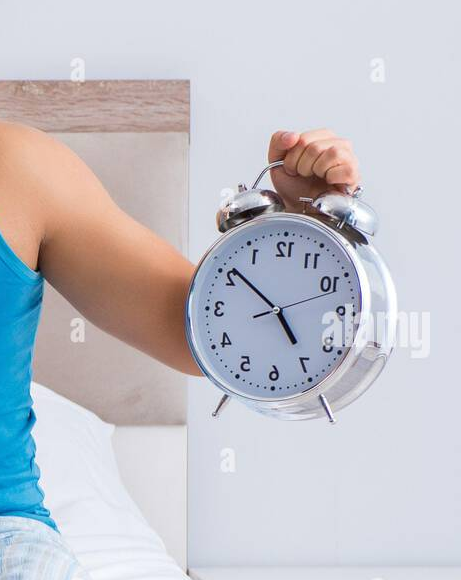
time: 4:51
